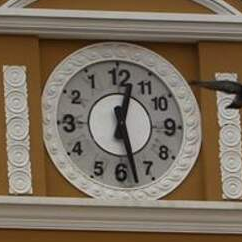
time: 12:27
